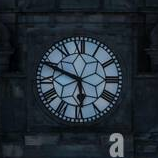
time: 5:49
